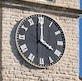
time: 4:00
